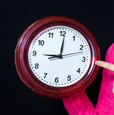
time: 9:01
